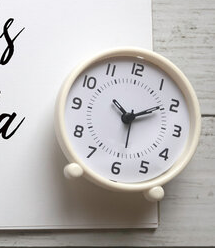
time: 10:09
